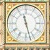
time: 11:27
